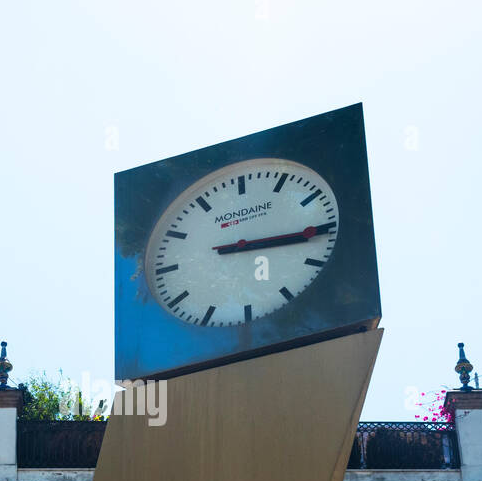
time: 3:15
